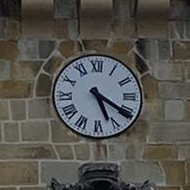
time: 5:20
